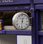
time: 12:31
